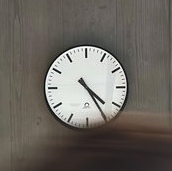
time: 4:24
